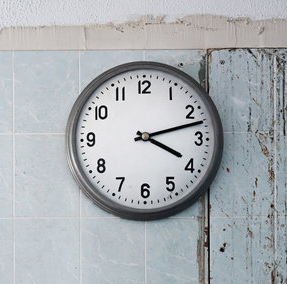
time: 4:12
